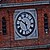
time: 5:51
